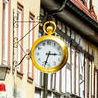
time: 3:33
